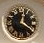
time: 12:20
